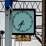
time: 7:34
